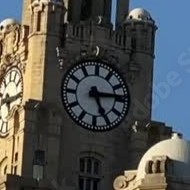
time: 5:14
